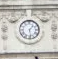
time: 1:28
